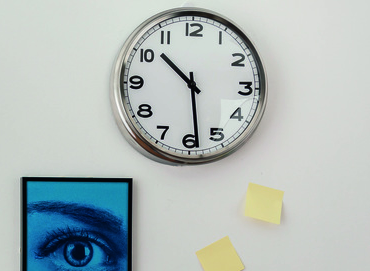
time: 10:28
